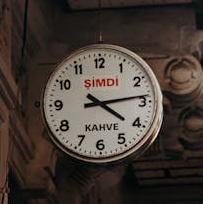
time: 4:13
